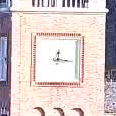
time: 12:16
